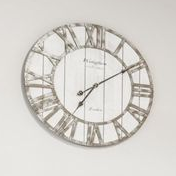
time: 7:09
